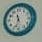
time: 11:32
